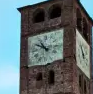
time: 10:50
